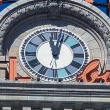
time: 12:02
